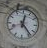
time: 12:23
